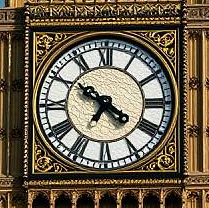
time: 6:50
